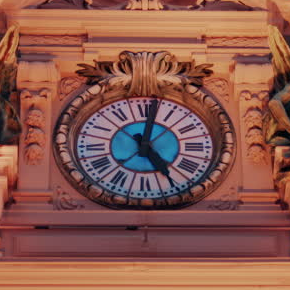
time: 5:02
